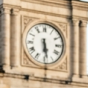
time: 5:28
